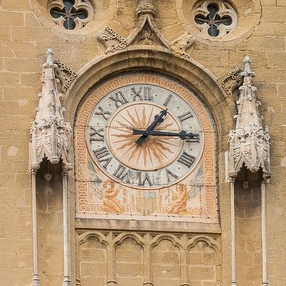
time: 1:14
